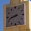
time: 2:42
